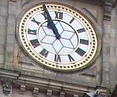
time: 10:55
